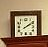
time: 2:09
